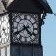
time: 4:40
